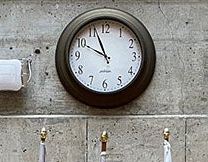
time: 9:56
